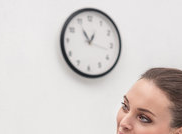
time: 12:54
